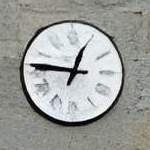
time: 12:46
